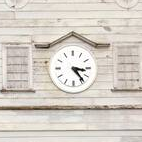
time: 3:23
